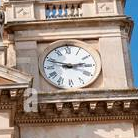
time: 2:48
